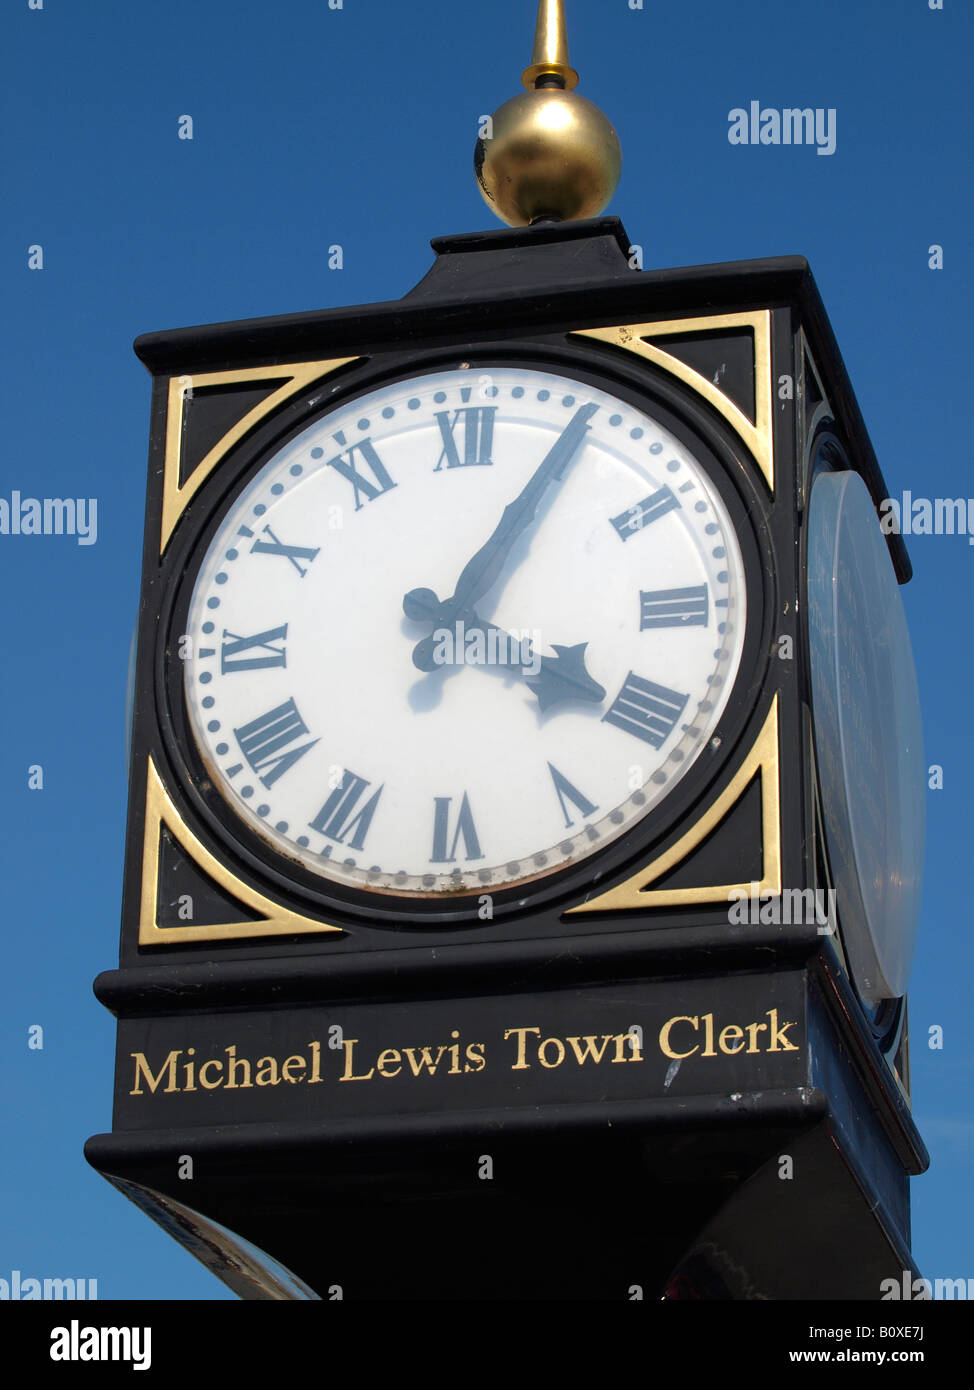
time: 4:05
